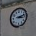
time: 3:12
